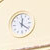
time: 12:21
